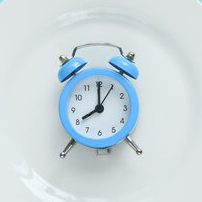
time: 8:00
